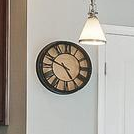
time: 4:48
